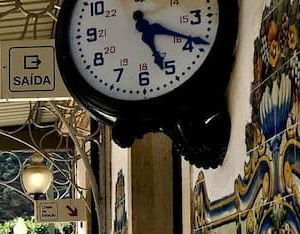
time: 5:18
